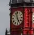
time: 4:57
